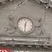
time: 12:30
